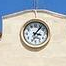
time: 3:06
